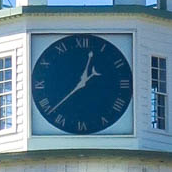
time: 12:37
